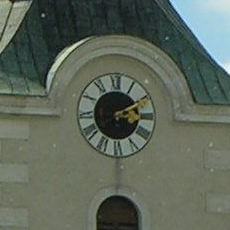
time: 3:10
